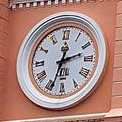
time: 2:33
